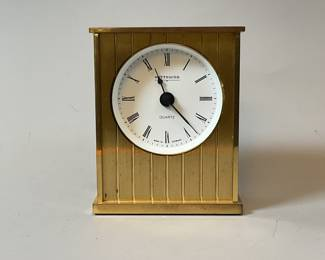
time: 11:23
